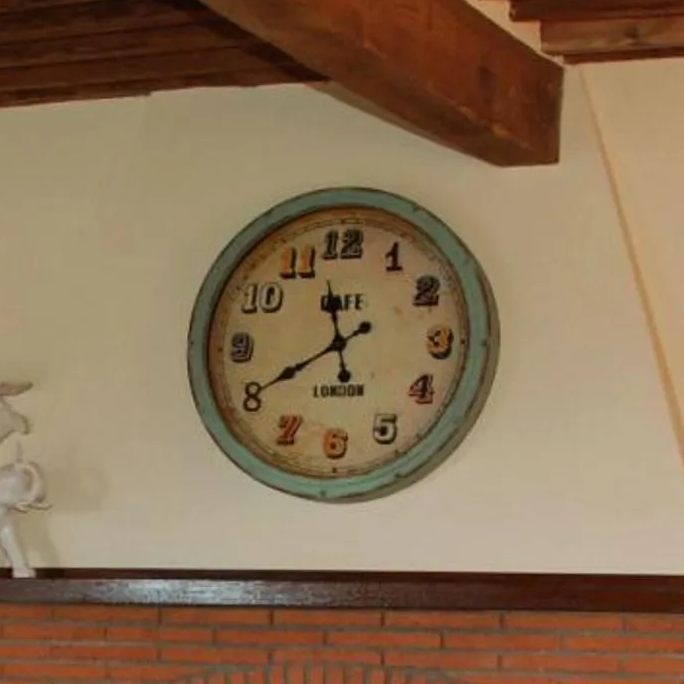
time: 11:40
